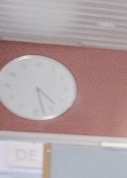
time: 4:27
